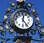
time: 12:23
